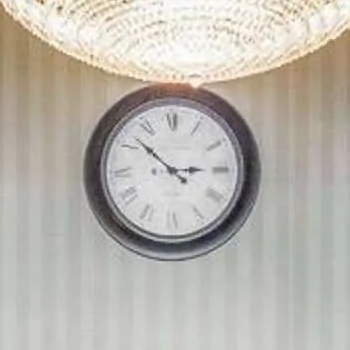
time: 2:52
